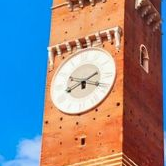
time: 2:18
